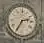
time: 2:35
